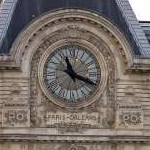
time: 11:18
